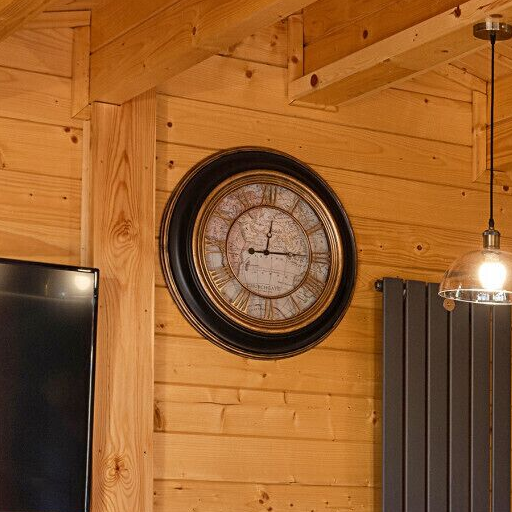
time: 12:14
